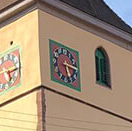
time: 5:15
